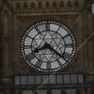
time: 8:21
